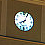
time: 8:04
